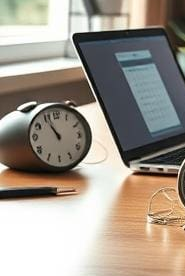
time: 10:55
